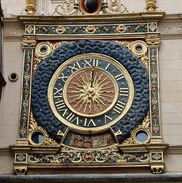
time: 9:01
